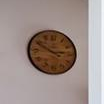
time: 2:49
